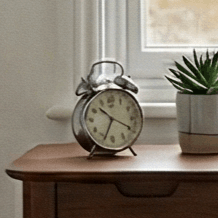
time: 10:34
